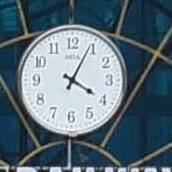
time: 4:04
